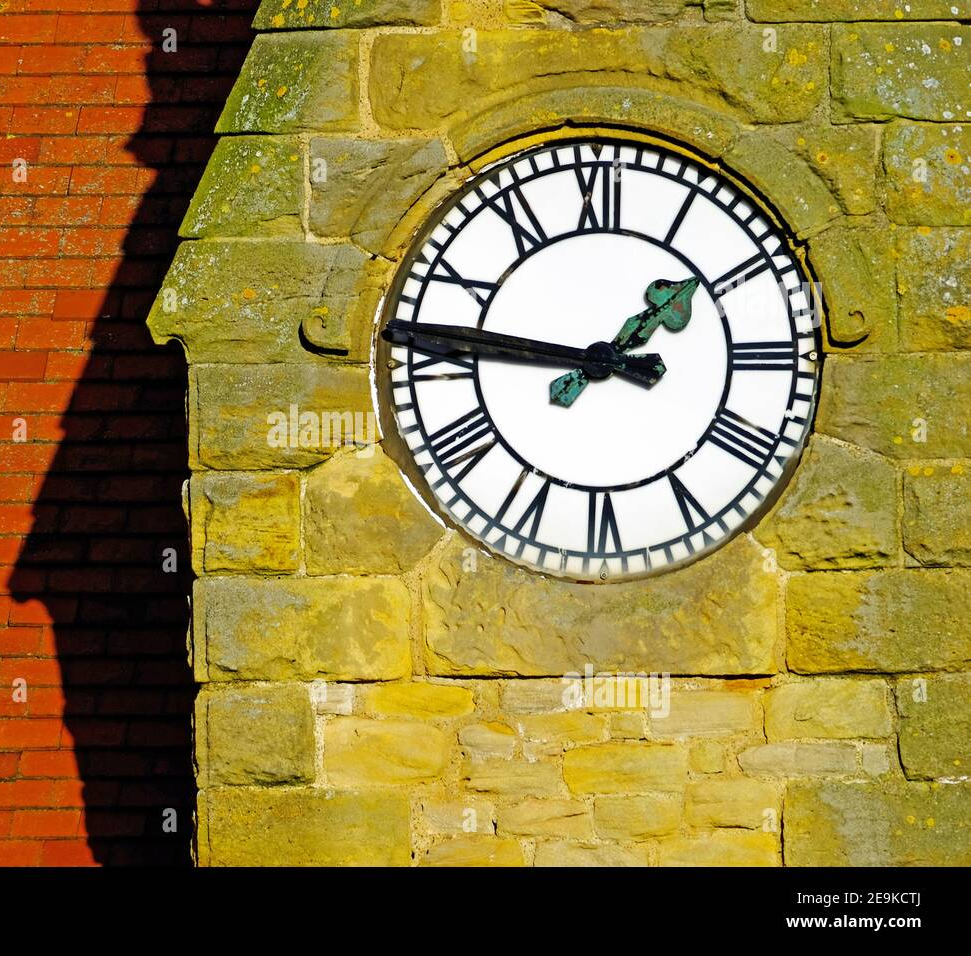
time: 1:46
